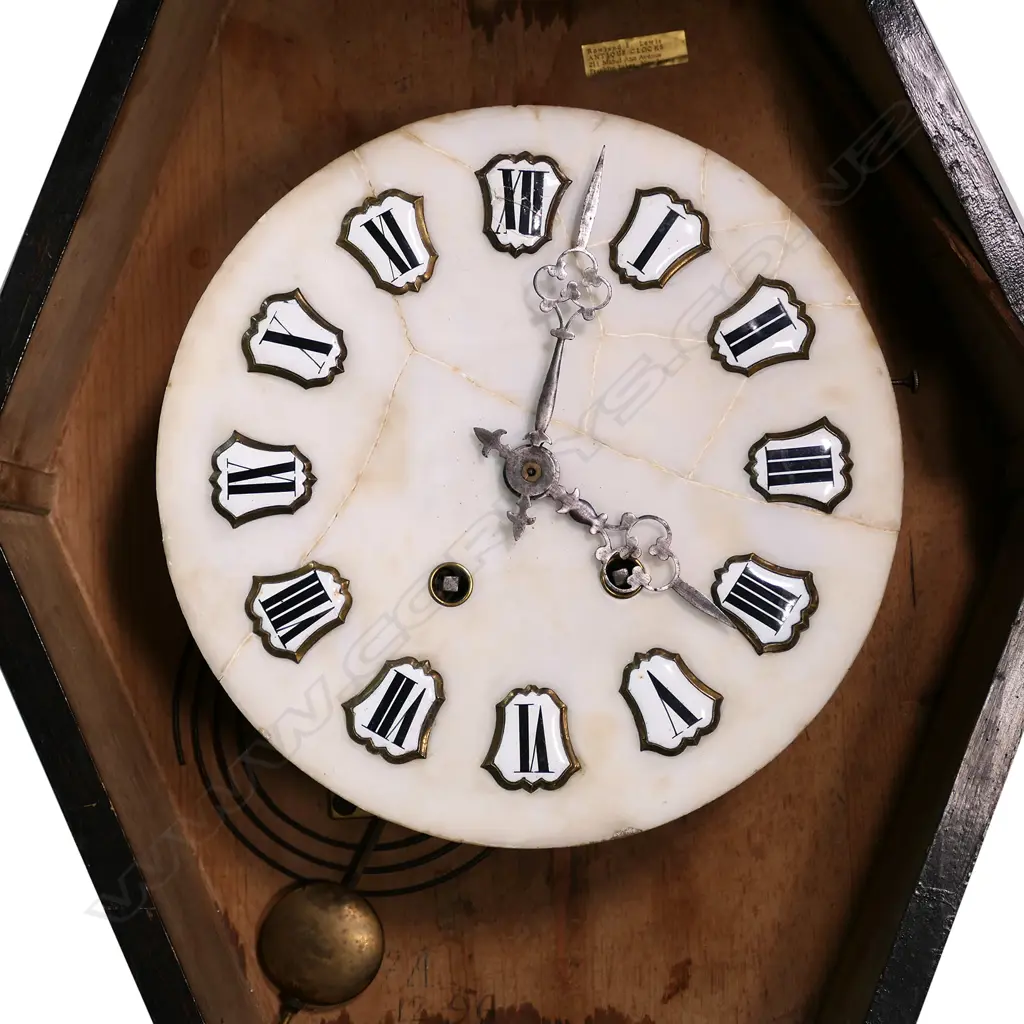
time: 4:02
